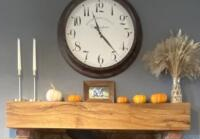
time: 11:23
